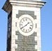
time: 1:39
